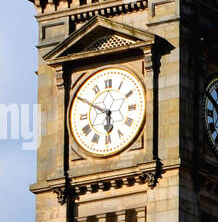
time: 5:49
